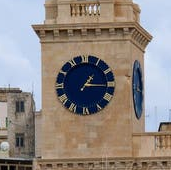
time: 1:15
